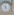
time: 4:26
